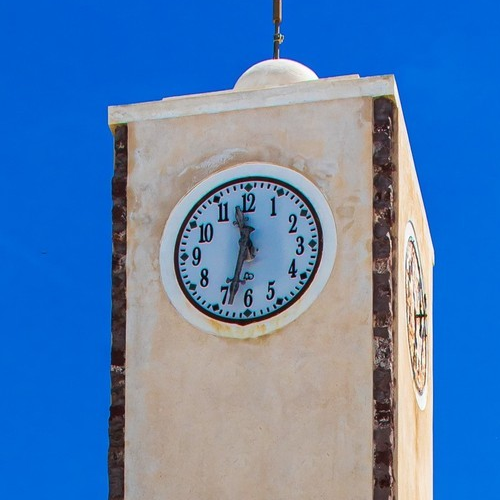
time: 11:32
